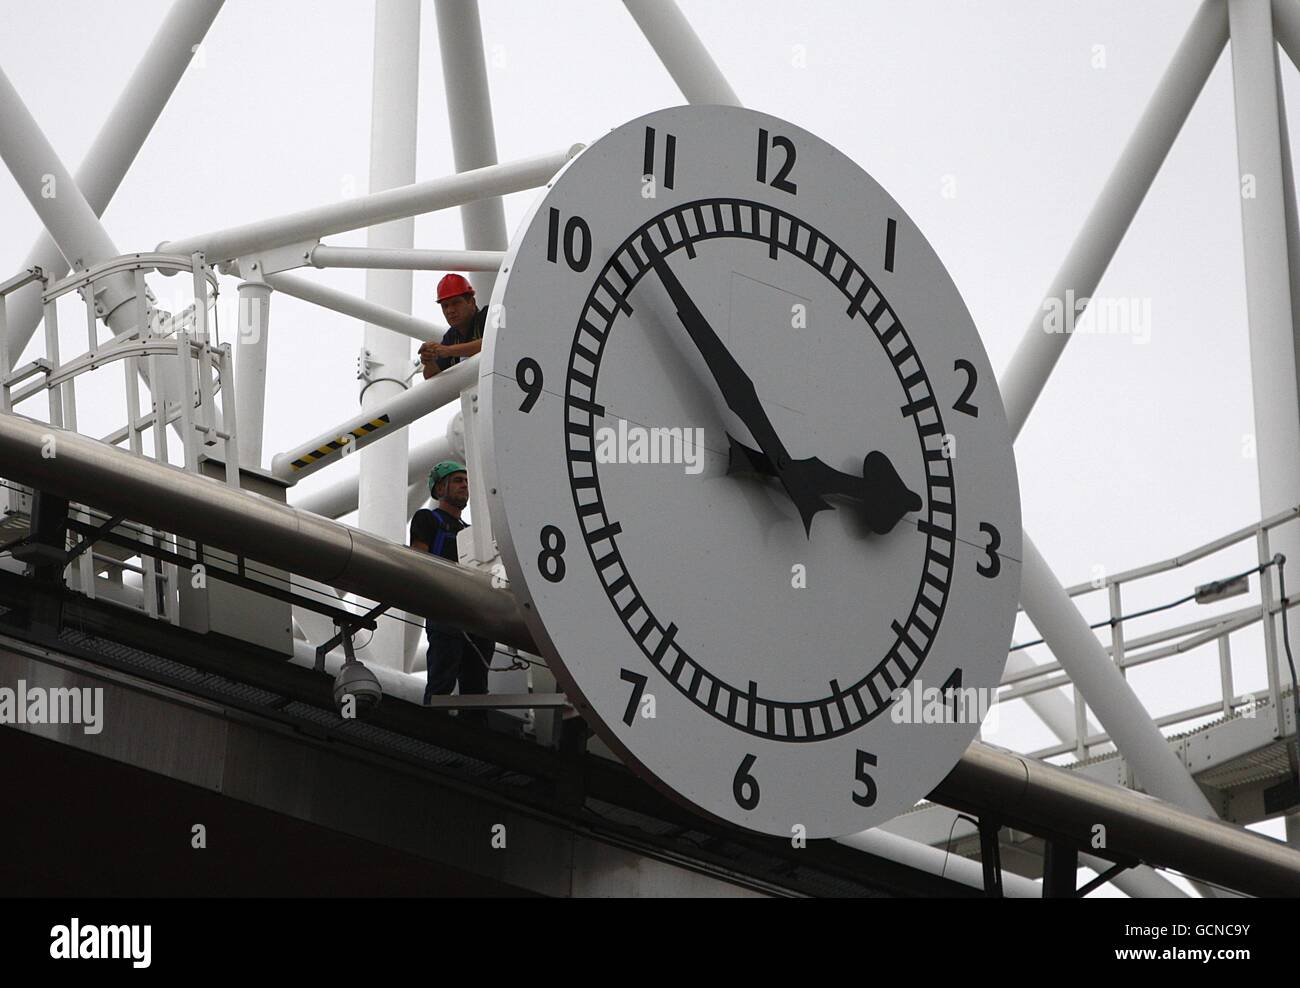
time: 2:52
